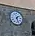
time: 1:27
